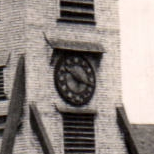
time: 10:17
